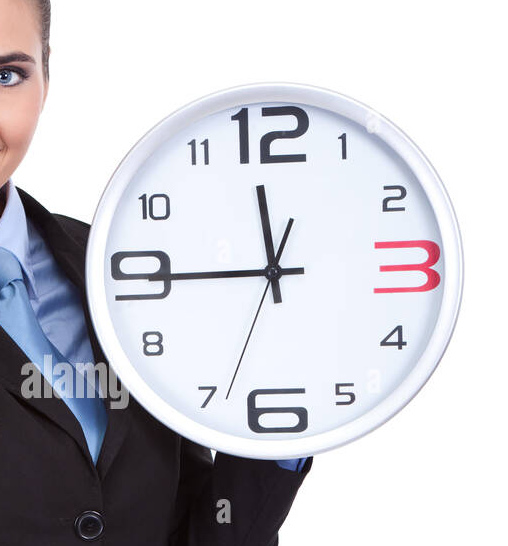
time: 11:44
